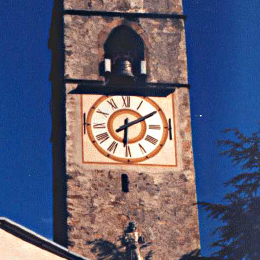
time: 6:10
